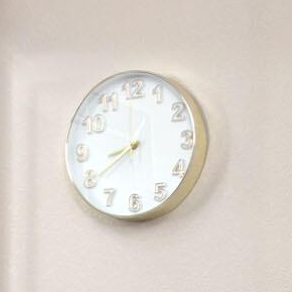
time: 8:39
